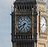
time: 6:40
